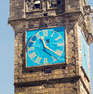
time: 11:21
